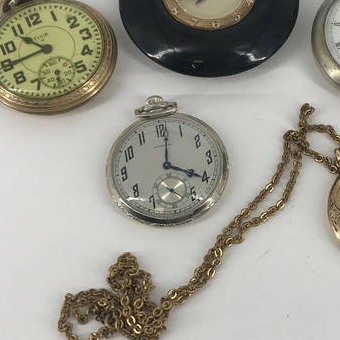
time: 4:01
